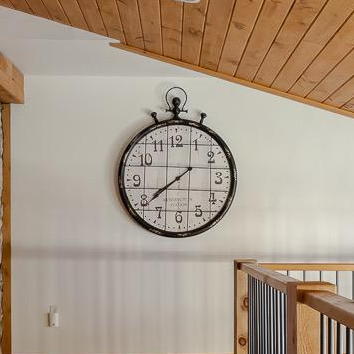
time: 7:39
